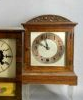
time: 9:57
